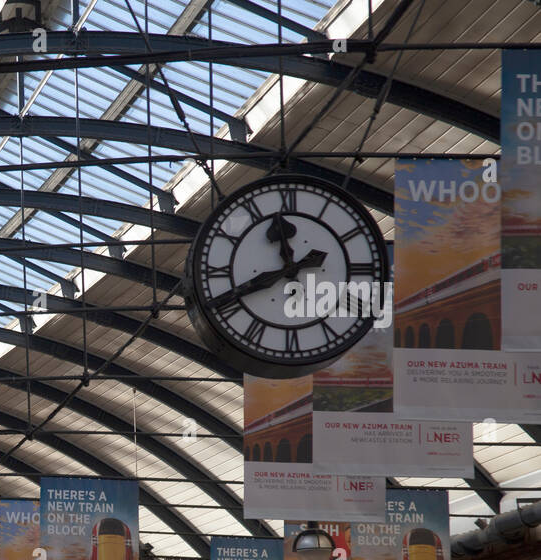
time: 11:41
